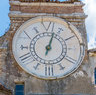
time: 1:02
